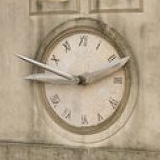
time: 9:12
